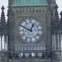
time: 12:49
